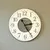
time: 2:24
